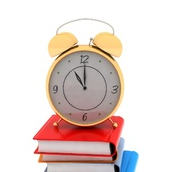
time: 11:00
